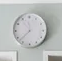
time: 11:37
